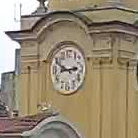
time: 2:48
